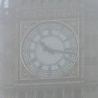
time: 10:16
